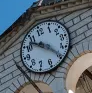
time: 10:24
